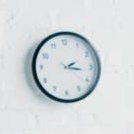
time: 2:16
